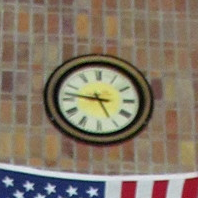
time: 4:46
